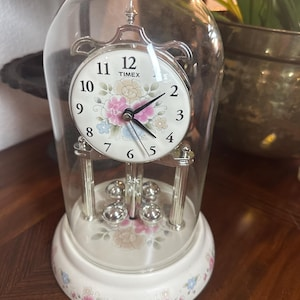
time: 4:09
